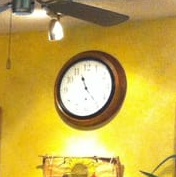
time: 11:24
